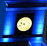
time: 9:42
